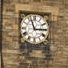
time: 2:56
